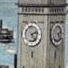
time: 2:23
